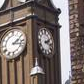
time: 2:18
